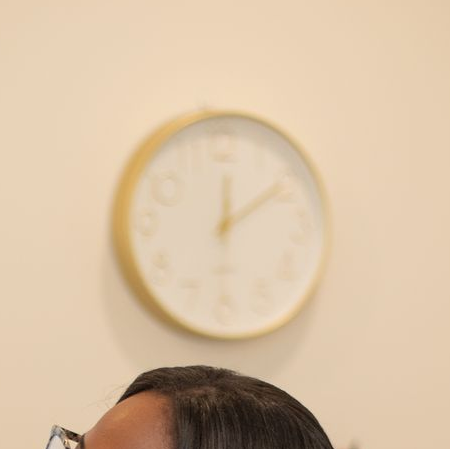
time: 12:09
